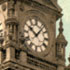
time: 10:07
